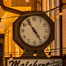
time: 4:54
